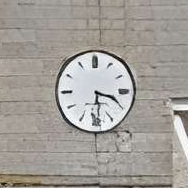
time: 3:29
